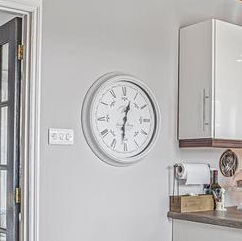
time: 12:31
